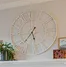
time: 5:37
